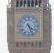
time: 4:26
